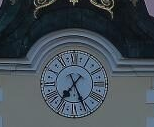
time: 7:25
